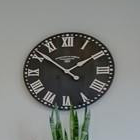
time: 1:51
